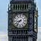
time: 8:37
